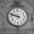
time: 9:48
